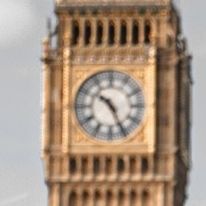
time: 10:25
